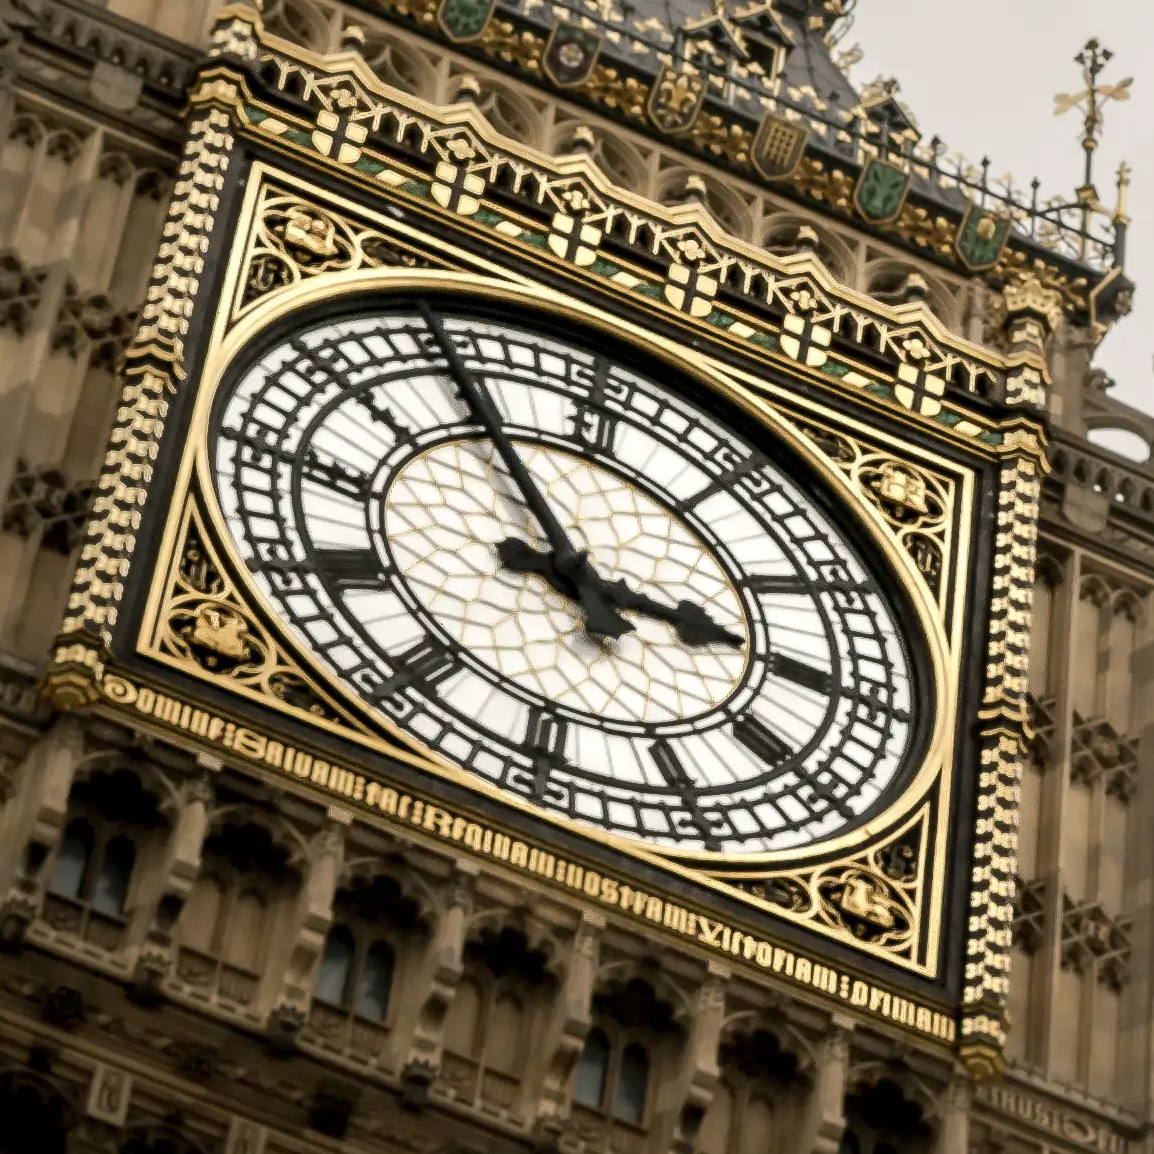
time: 2:54
